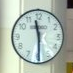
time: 11:29
